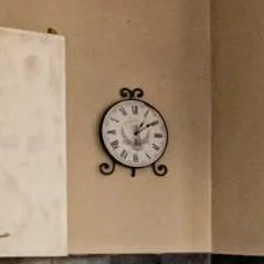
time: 1:09
